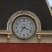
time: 7:18
